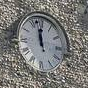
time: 11:58
